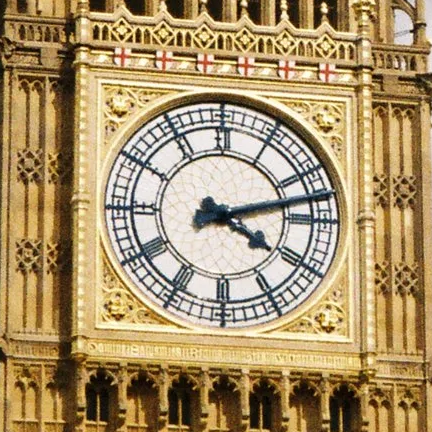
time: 4:12
